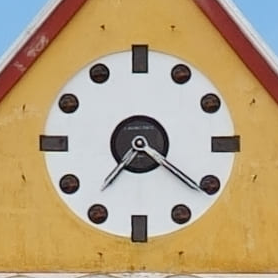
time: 7:21
